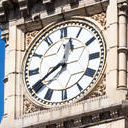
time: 12:40
